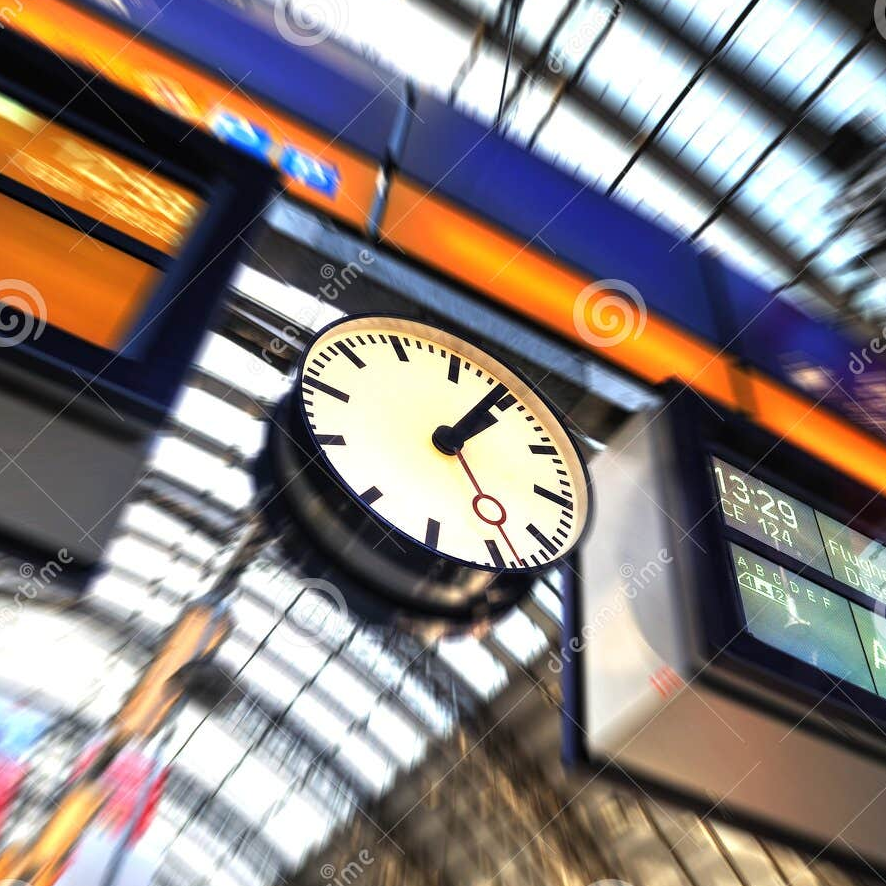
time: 1:04
